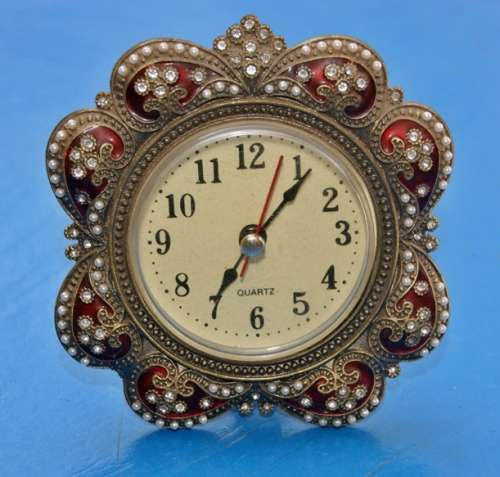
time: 7:06
